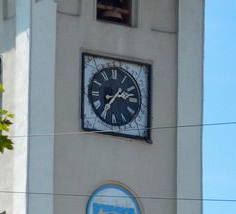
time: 2:36
